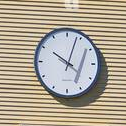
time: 10:03
